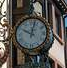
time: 10:02
